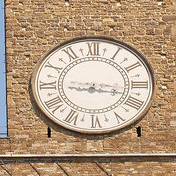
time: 9:17
